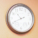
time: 10:41
